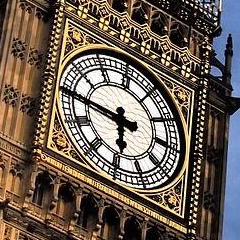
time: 5:45
